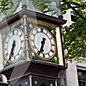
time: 6:34
